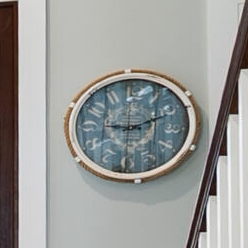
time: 9:11
